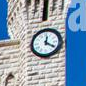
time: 12:20
